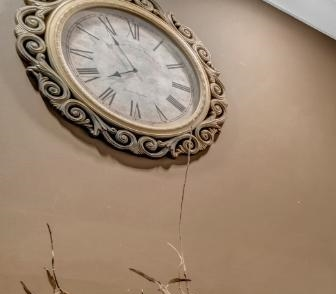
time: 7:54
